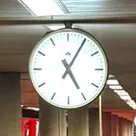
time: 5:05
